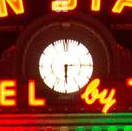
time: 6:14
